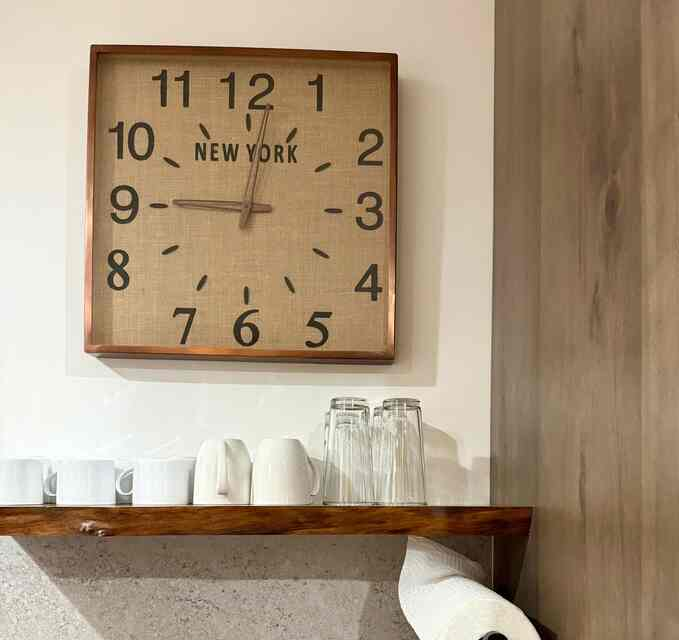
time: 9:01
